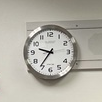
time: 9:36
